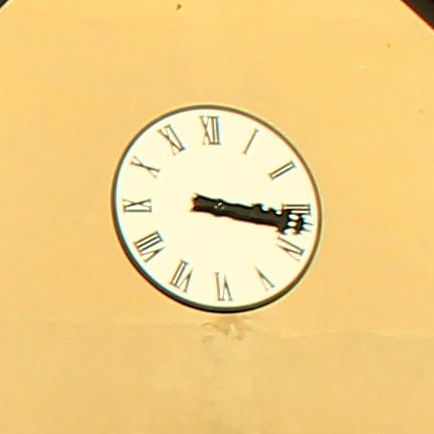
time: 3:16
